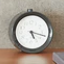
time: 5:17
